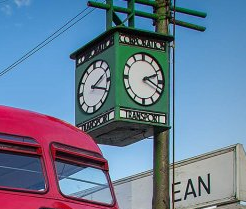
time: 2:18
